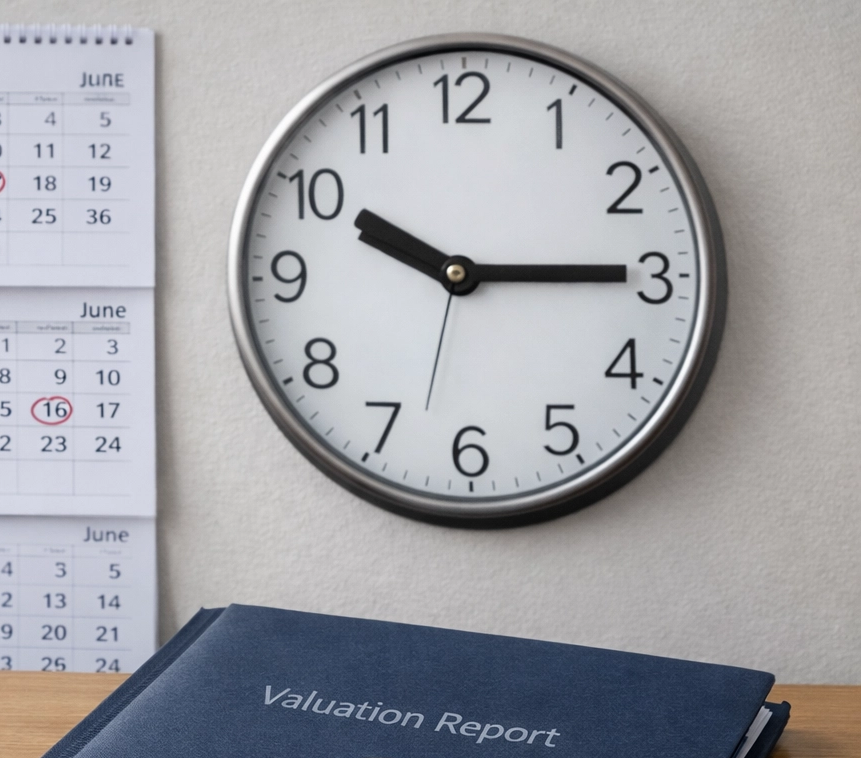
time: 10:15
